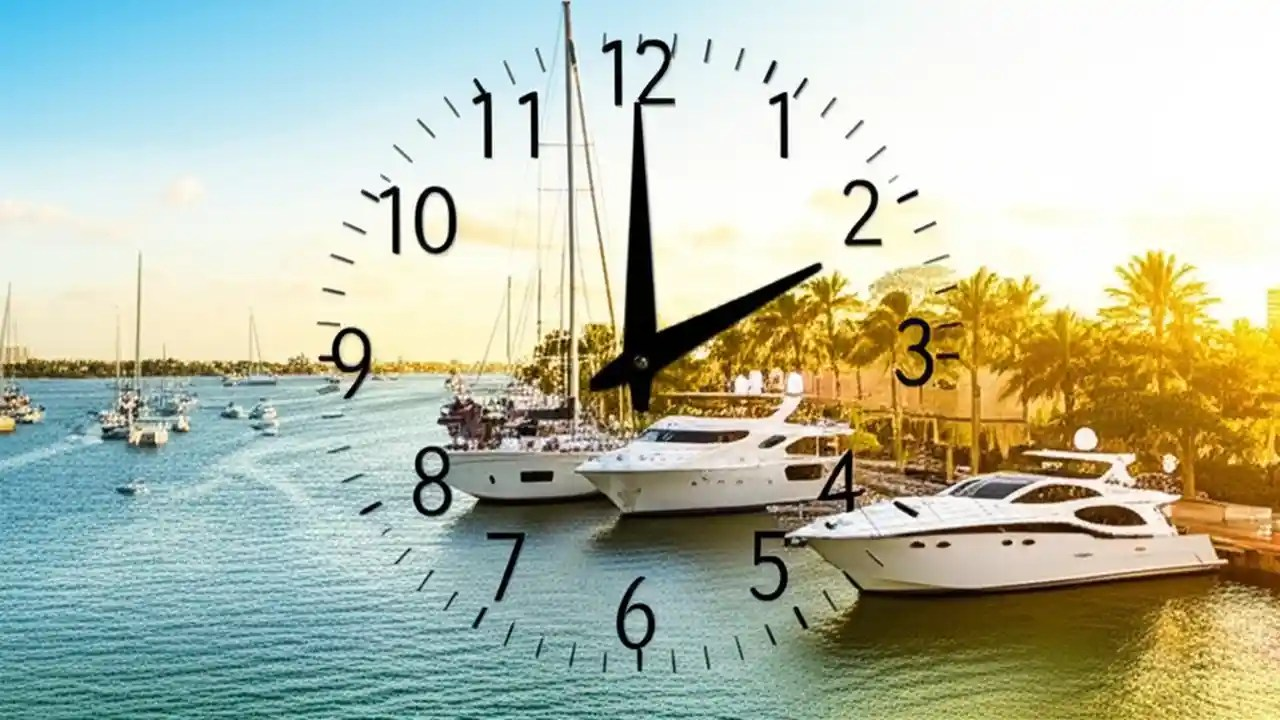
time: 1:59
